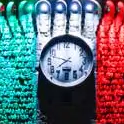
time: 7:47
